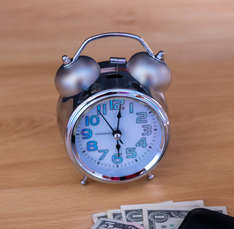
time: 6:01
